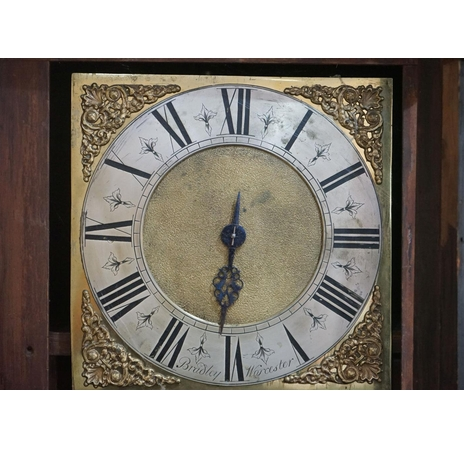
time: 6:31
